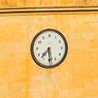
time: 7:28
